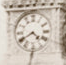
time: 4:39
